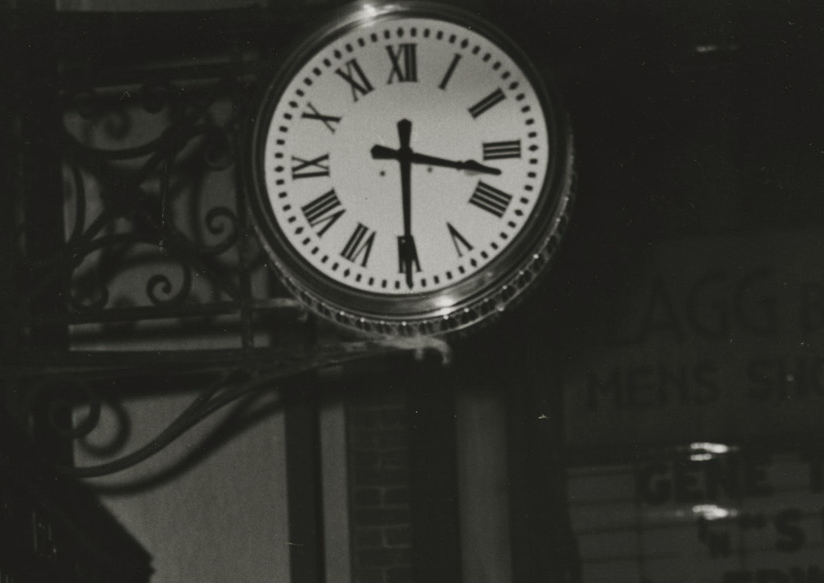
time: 3:29
